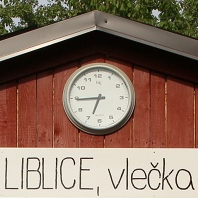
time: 6:44
